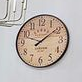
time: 1:47
